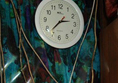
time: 2:37
